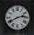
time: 2:40
